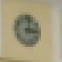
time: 3:01
